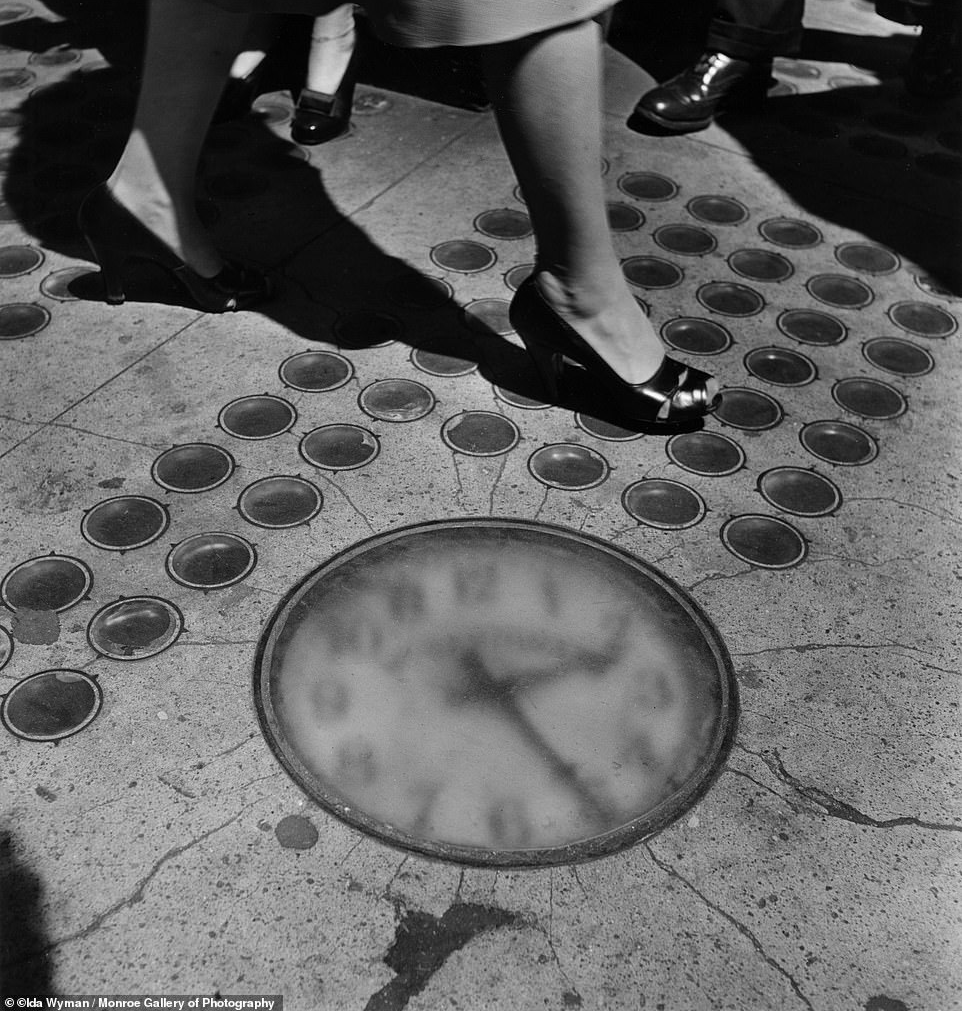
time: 2:24
